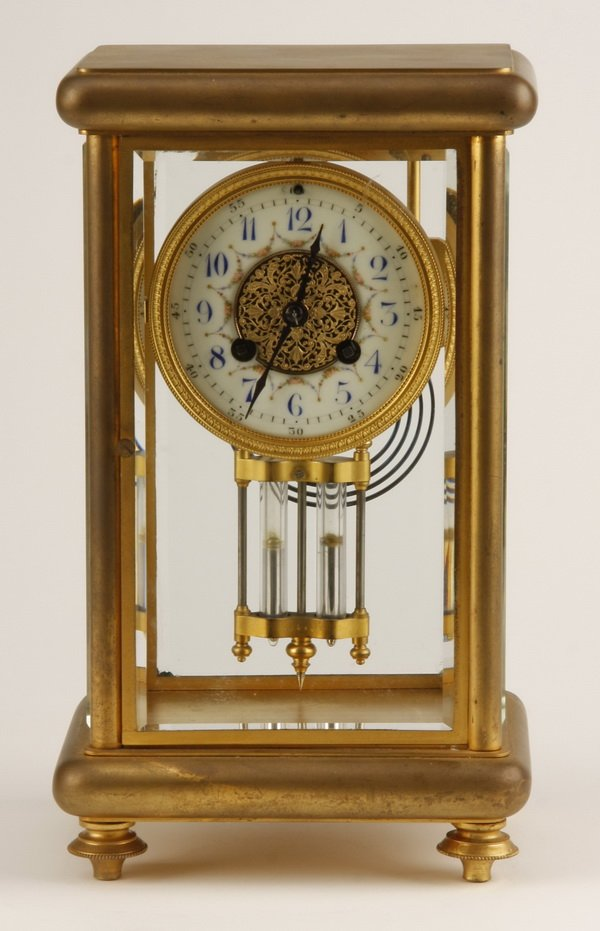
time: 7:03
